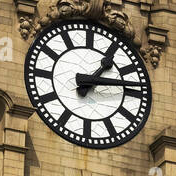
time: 1:13
